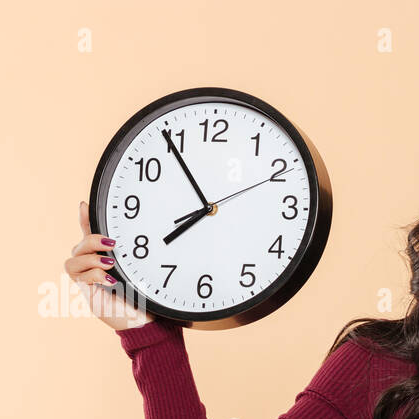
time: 7:54
